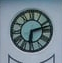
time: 6:12
